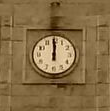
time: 11:59
